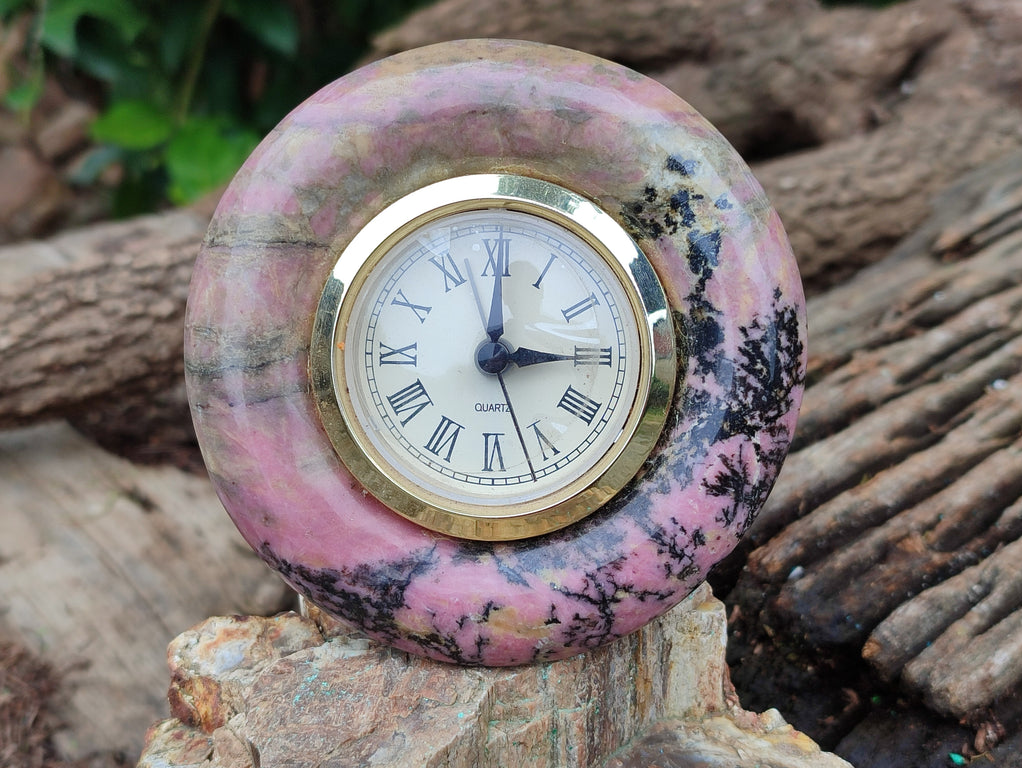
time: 3:00
